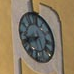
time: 7:41
